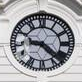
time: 9:22
